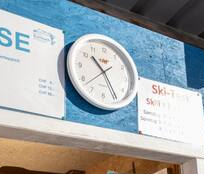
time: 10:24
